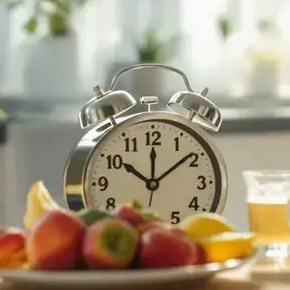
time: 10:08
